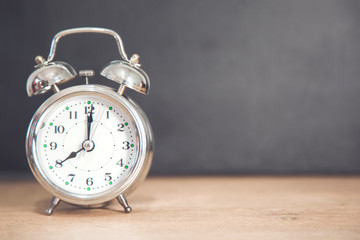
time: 8:00
